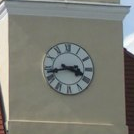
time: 3:42
